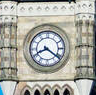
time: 8:21
